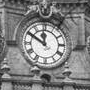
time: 11:50
